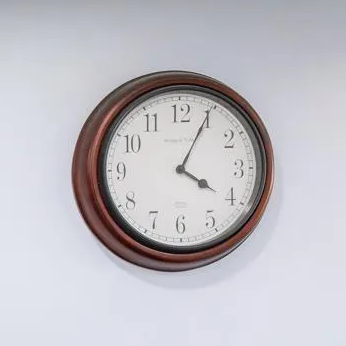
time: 4:04
